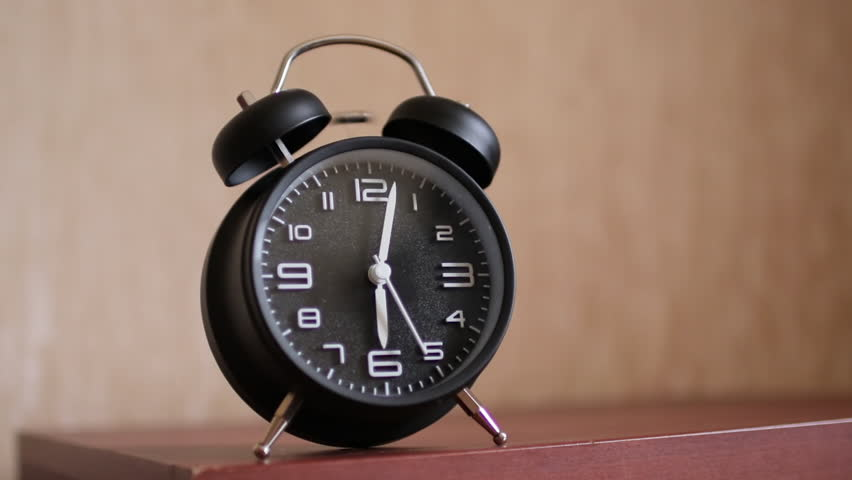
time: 6:02
